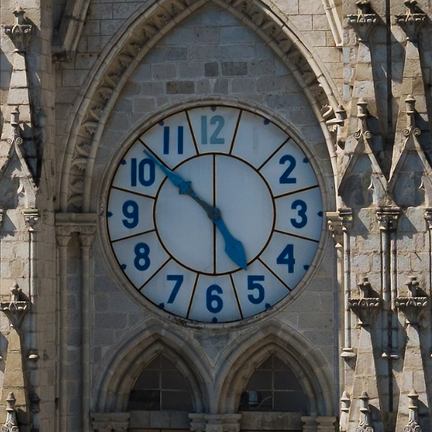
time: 4:52
